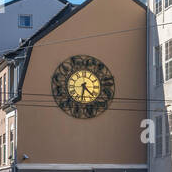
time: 4:32
